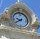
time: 9:40
